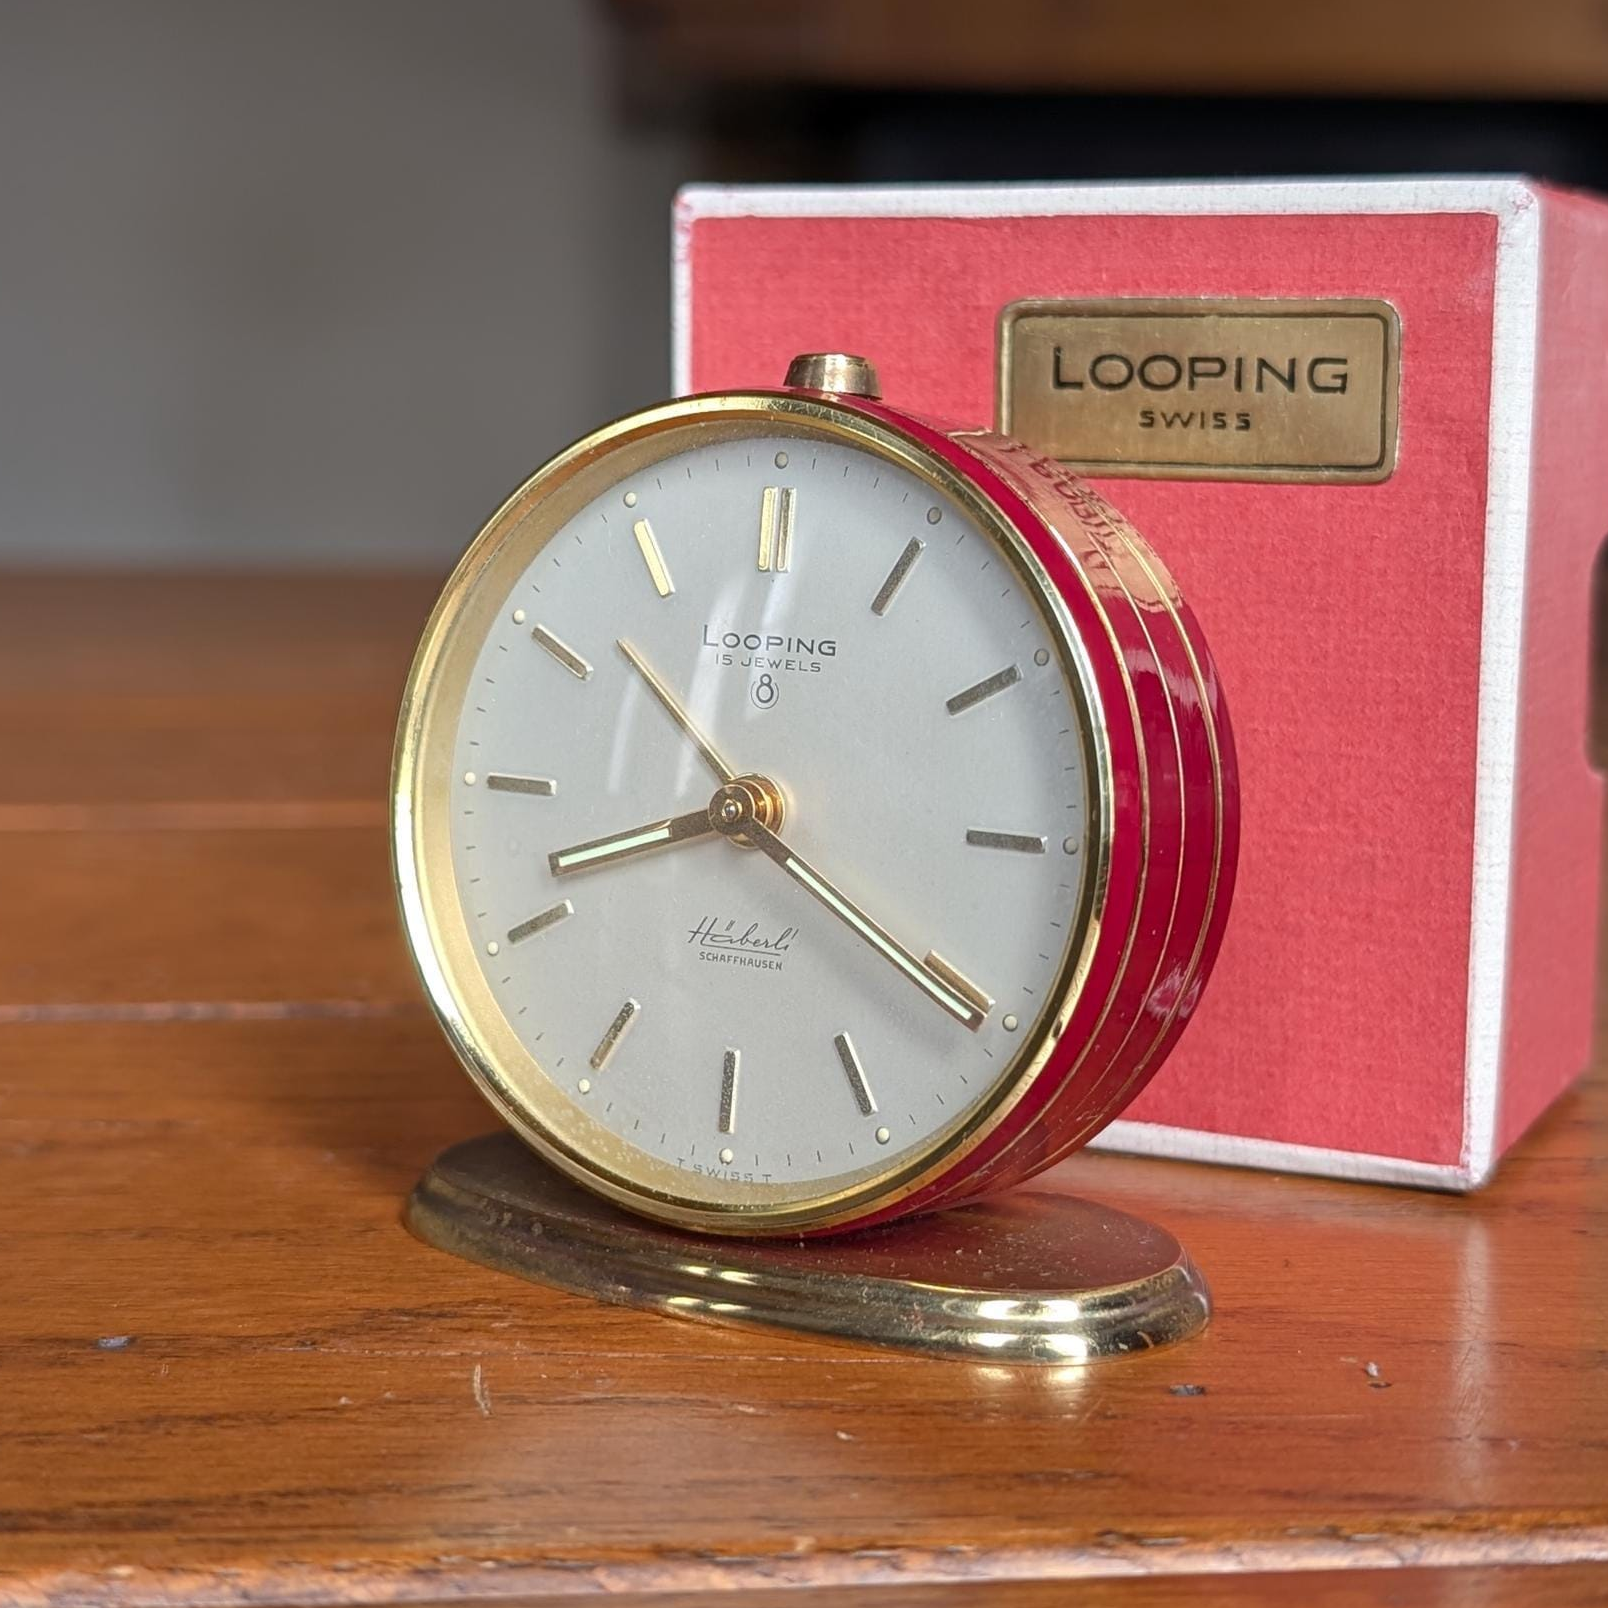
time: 8:20
